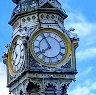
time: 7:55
